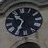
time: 10:34
